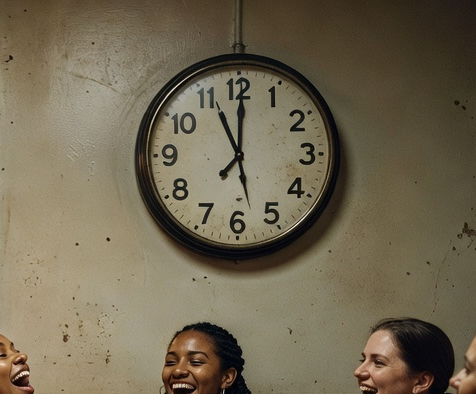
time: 11:00
